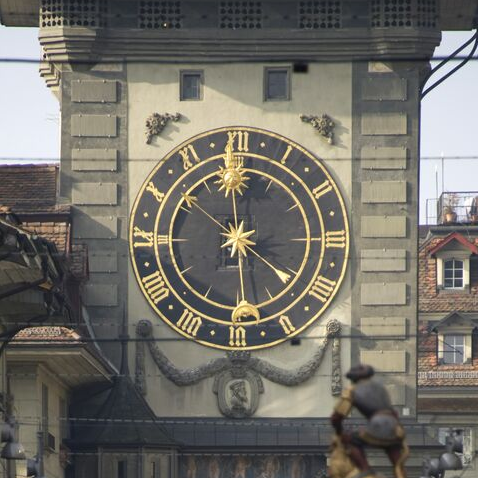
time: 5:59
